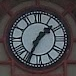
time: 1:34
